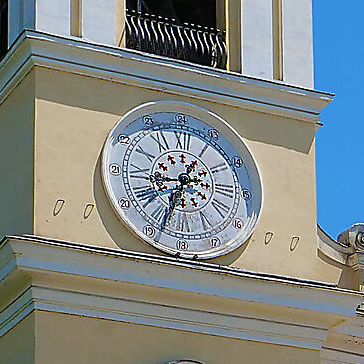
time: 8:33
